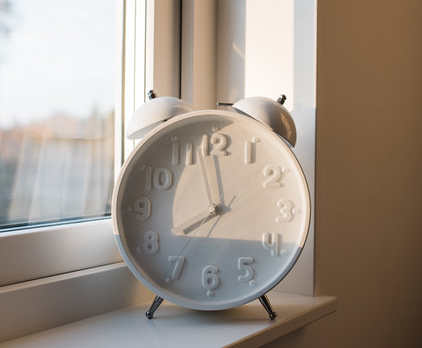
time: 7:59
